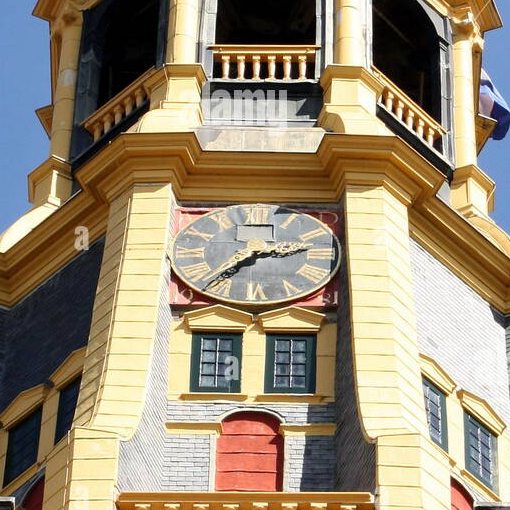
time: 2:36
